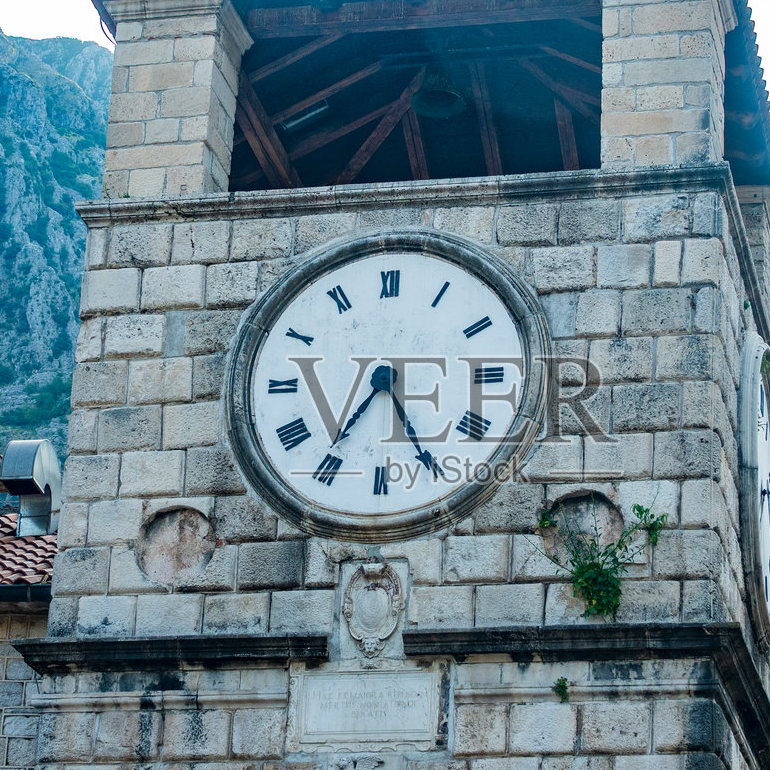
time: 7:25
